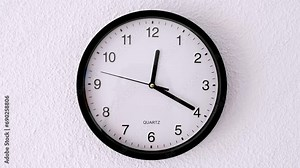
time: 12:19
